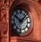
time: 10:07
